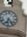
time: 6:23
